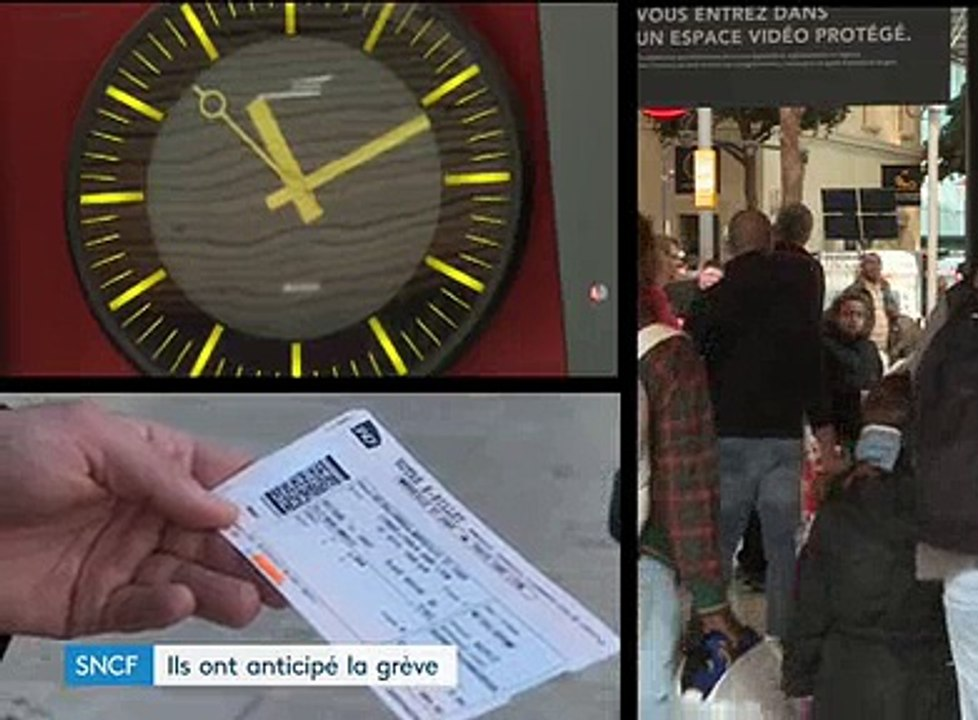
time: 11:11
